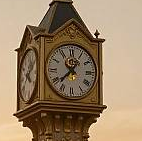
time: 12:37
